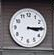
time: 3:14
